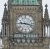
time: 9:17
